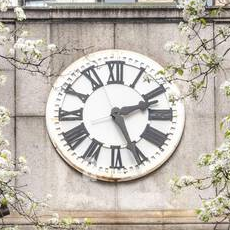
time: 2:25
